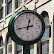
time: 12:42
